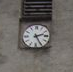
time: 2:25
